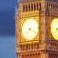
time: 7:19
